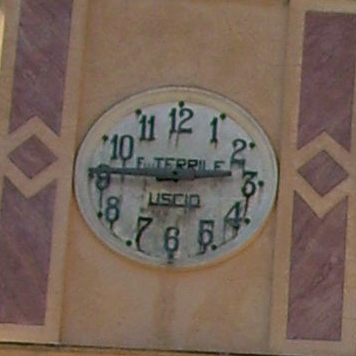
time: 2:45
